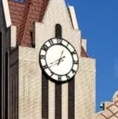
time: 6:40
